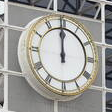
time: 11:59
